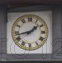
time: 1:42
